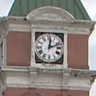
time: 12:11
